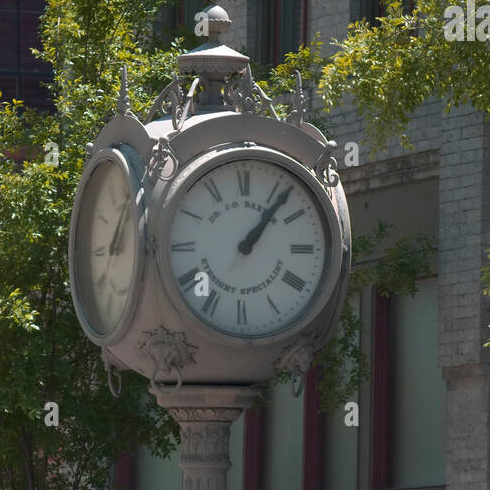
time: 1:06
